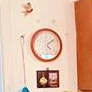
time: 4:08
